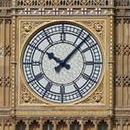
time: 10:07
